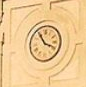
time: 3:54
